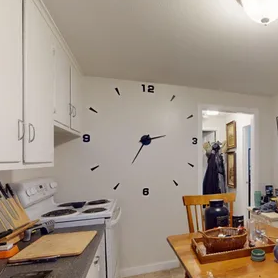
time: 2:34
